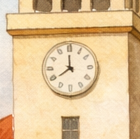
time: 7:59
